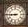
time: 8:45
